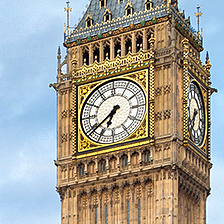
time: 6:38
